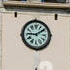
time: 9:09
